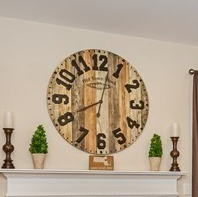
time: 12:41
